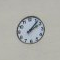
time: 2:07
